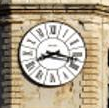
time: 8:17
